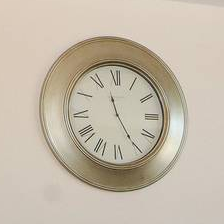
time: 11:25
